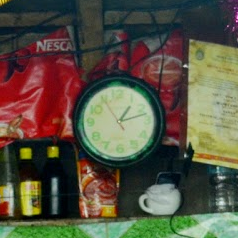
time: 1:12
